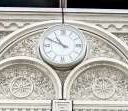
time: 10:50
